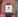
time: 4:35
